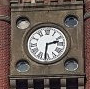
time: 2:31
